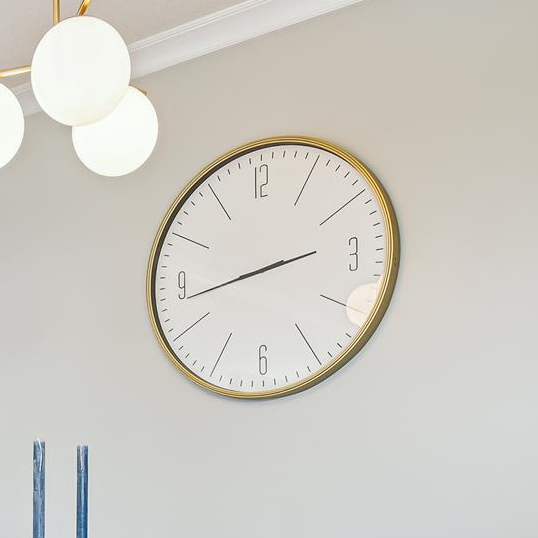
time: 2:43
